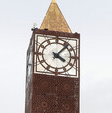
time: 4:06
